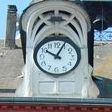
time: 10:04
